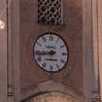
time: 8:43
